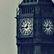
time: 12:44
